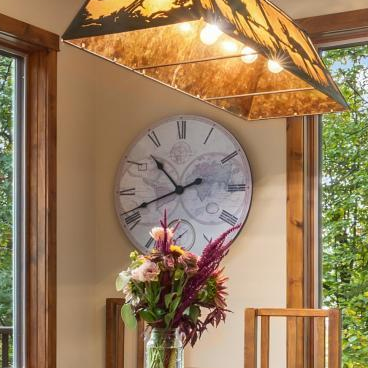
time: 10:41
